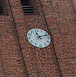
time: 11:12
